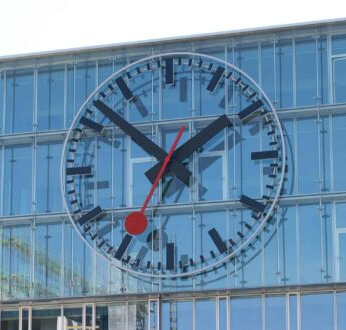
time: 1:52
